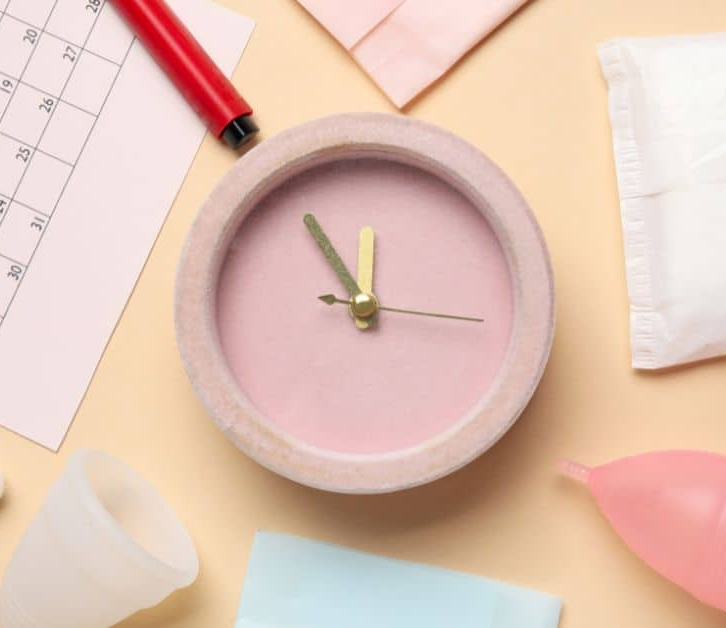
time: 11:54
